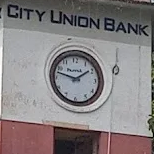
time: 1:47
